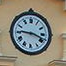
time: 9:18
